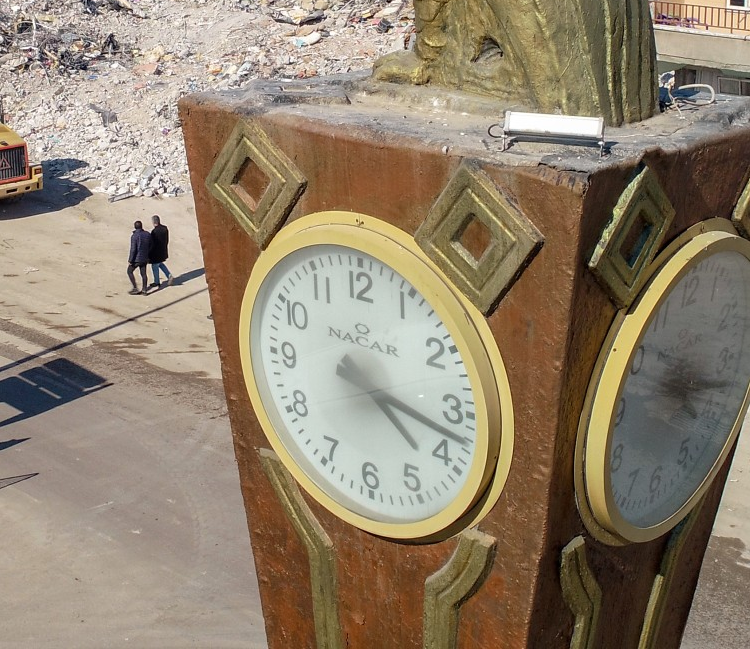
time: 4:17
